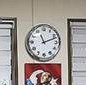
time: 11:11
